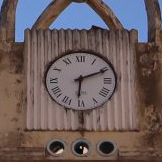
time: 6:11
